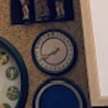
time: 7:40
